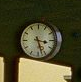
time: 3:27
